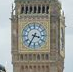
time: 3:35
